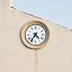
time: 4:35
